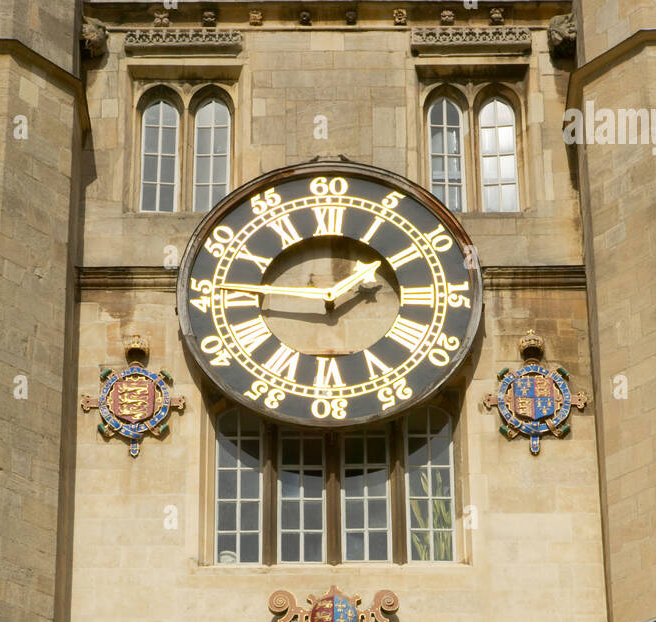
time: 1:46
